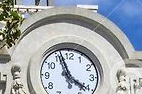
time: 3:56
